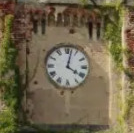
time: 4:02
